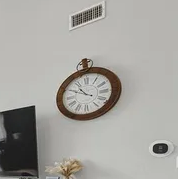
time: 10:49
